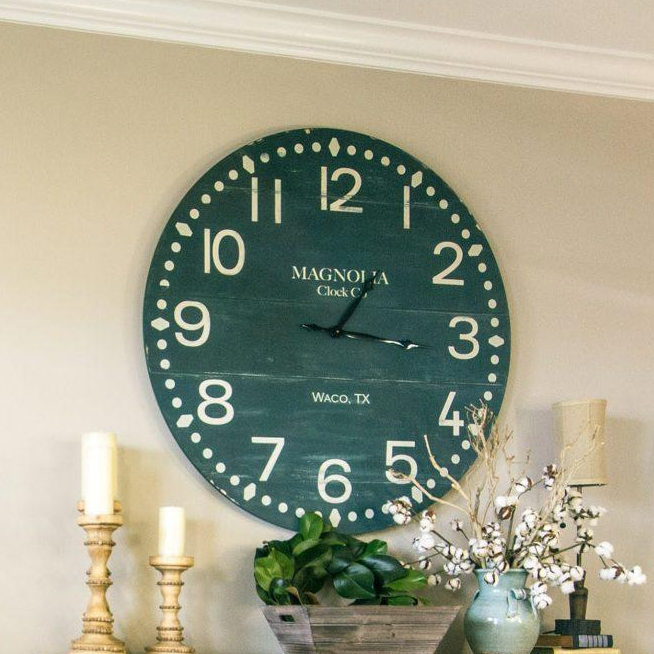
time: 1:16
